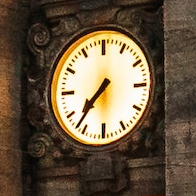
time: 7:36
